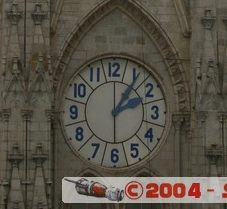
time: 2:06
